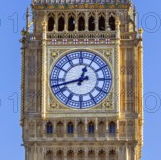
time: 12:42
